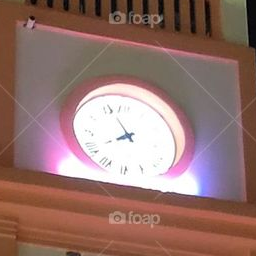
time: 7:56
